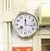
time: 12:16
